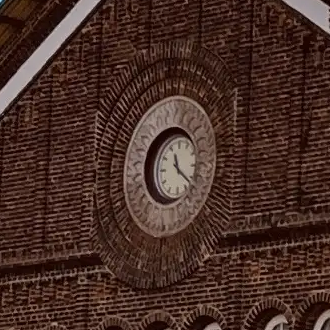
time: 11:21
